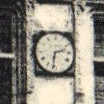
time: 2:31
